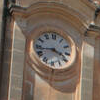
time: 3:43
